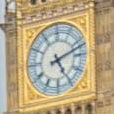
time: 5:11
